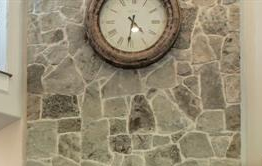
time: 4:31
